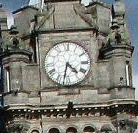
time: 4:32
